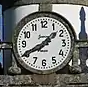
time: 1:40
